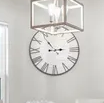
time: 2:53
